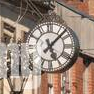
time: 5:07
